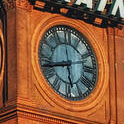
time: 5:42
